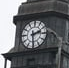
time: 2:29
